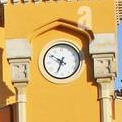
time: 6:50
